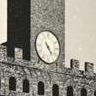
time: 4:23
